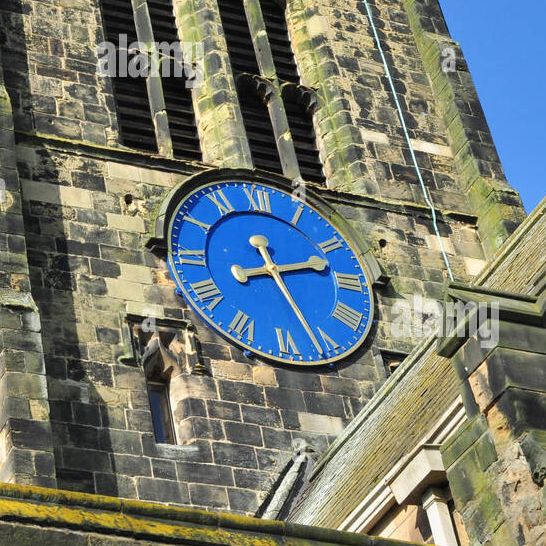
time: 2:26
